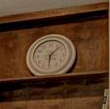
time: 6:07
